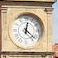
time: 12:21
